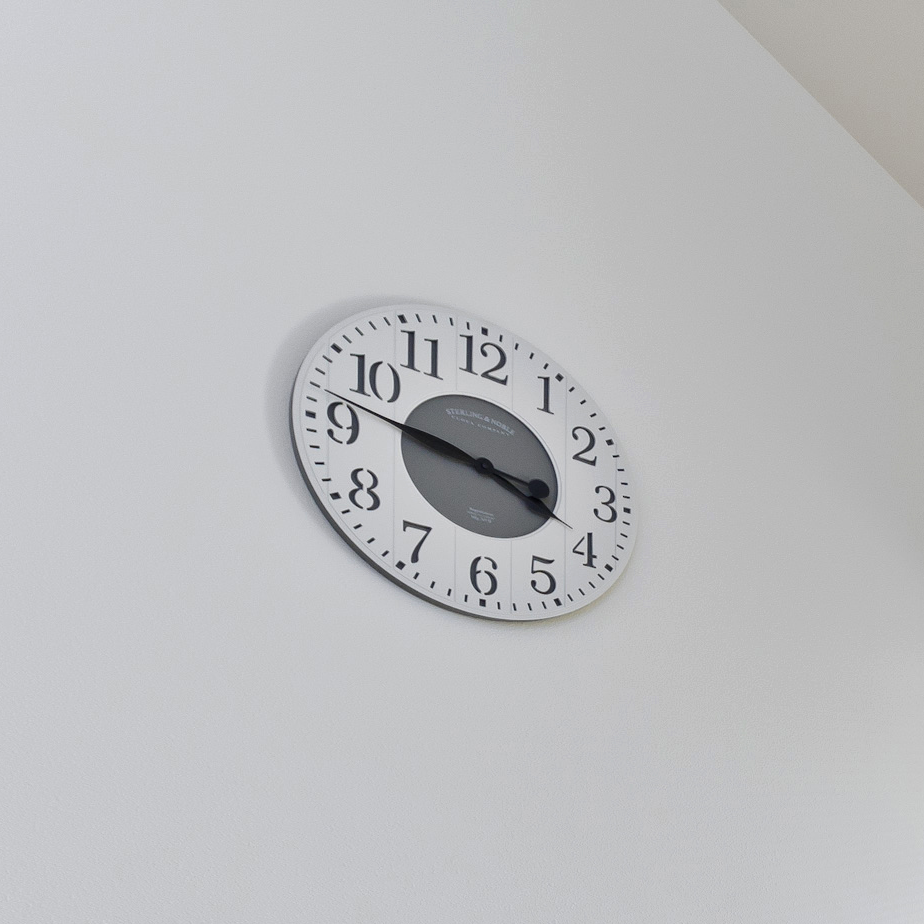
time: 3:47
